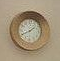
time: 1:41
